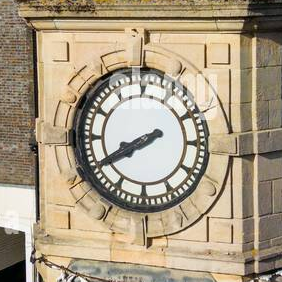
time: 7:40
